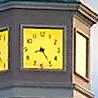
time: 8:24
